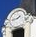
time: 1:42
